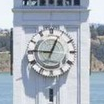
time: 12:46
